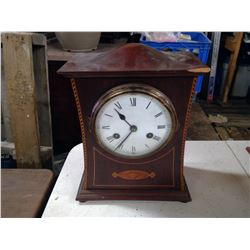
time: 10:36
